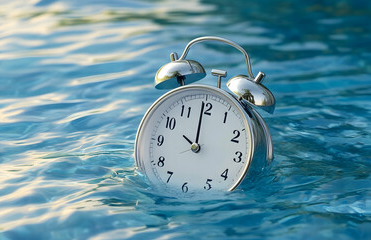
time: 9:59
